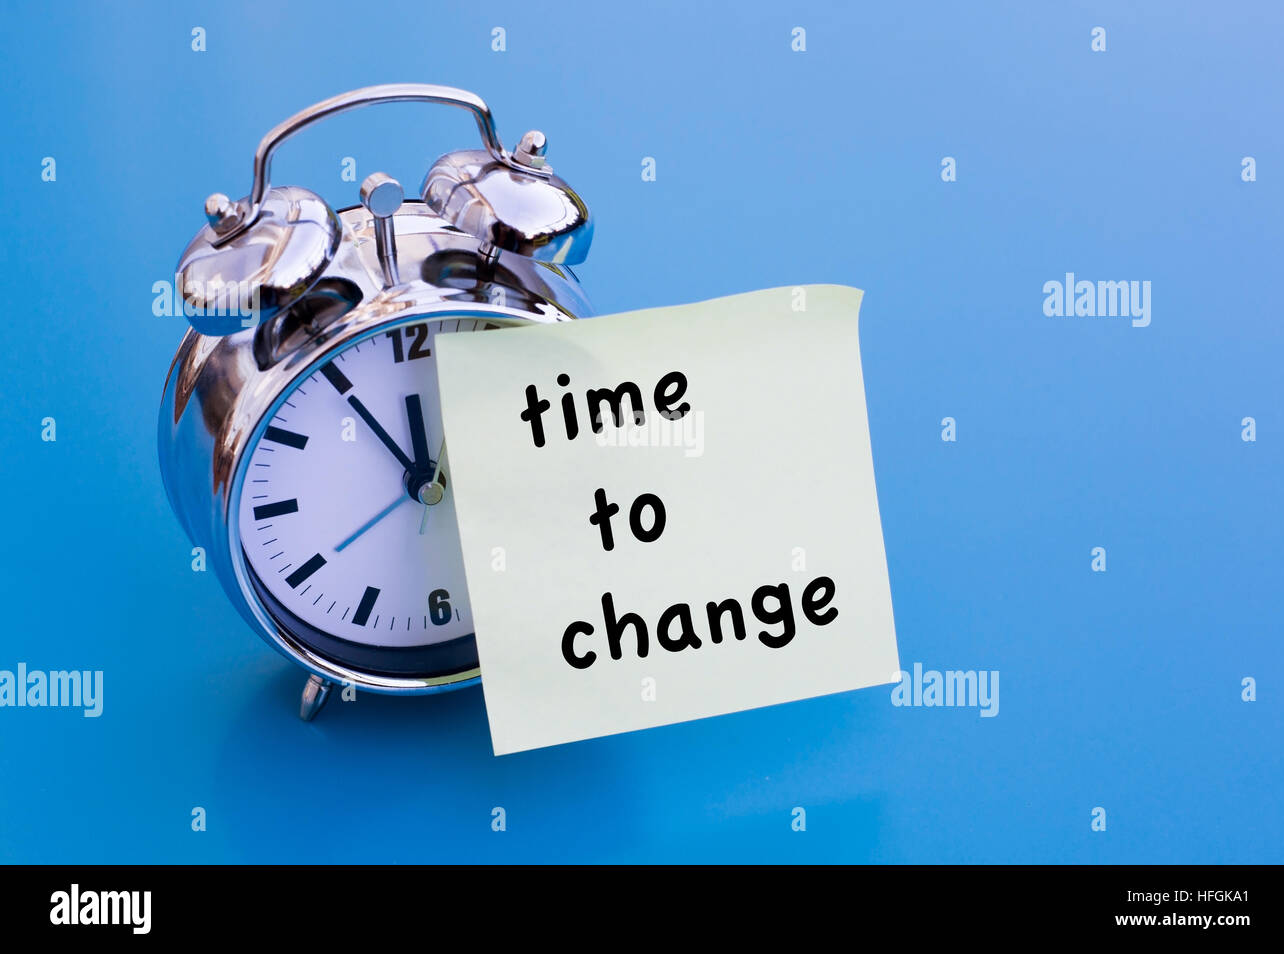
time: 11:54
